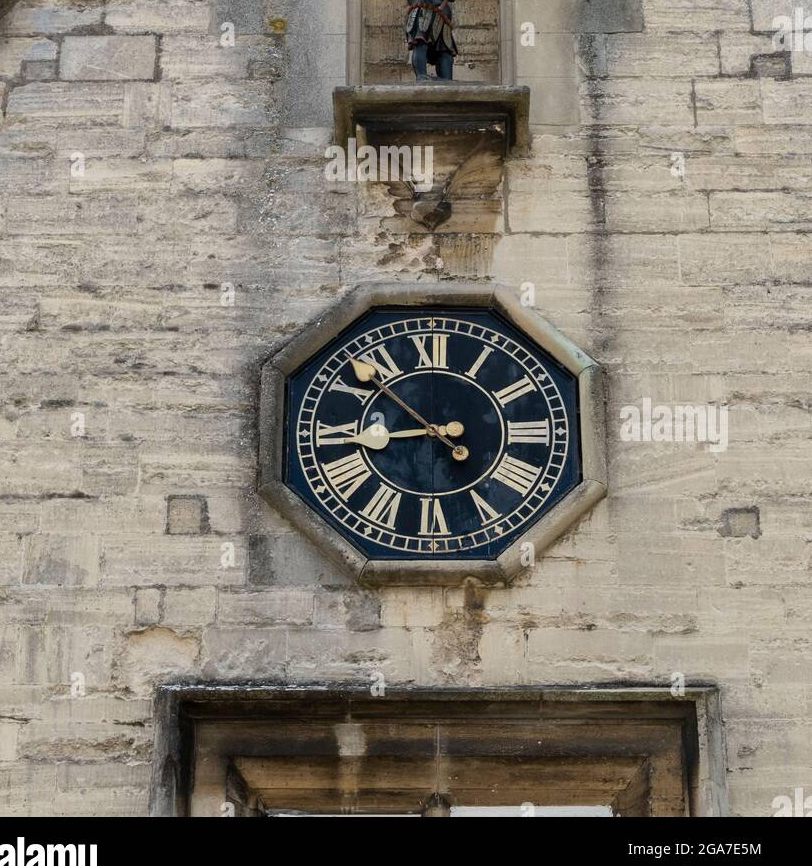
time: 8:52
